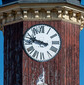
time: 9:47
